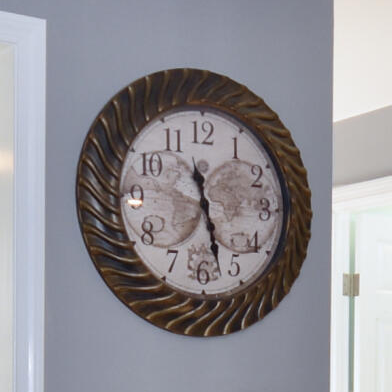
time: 11:27
